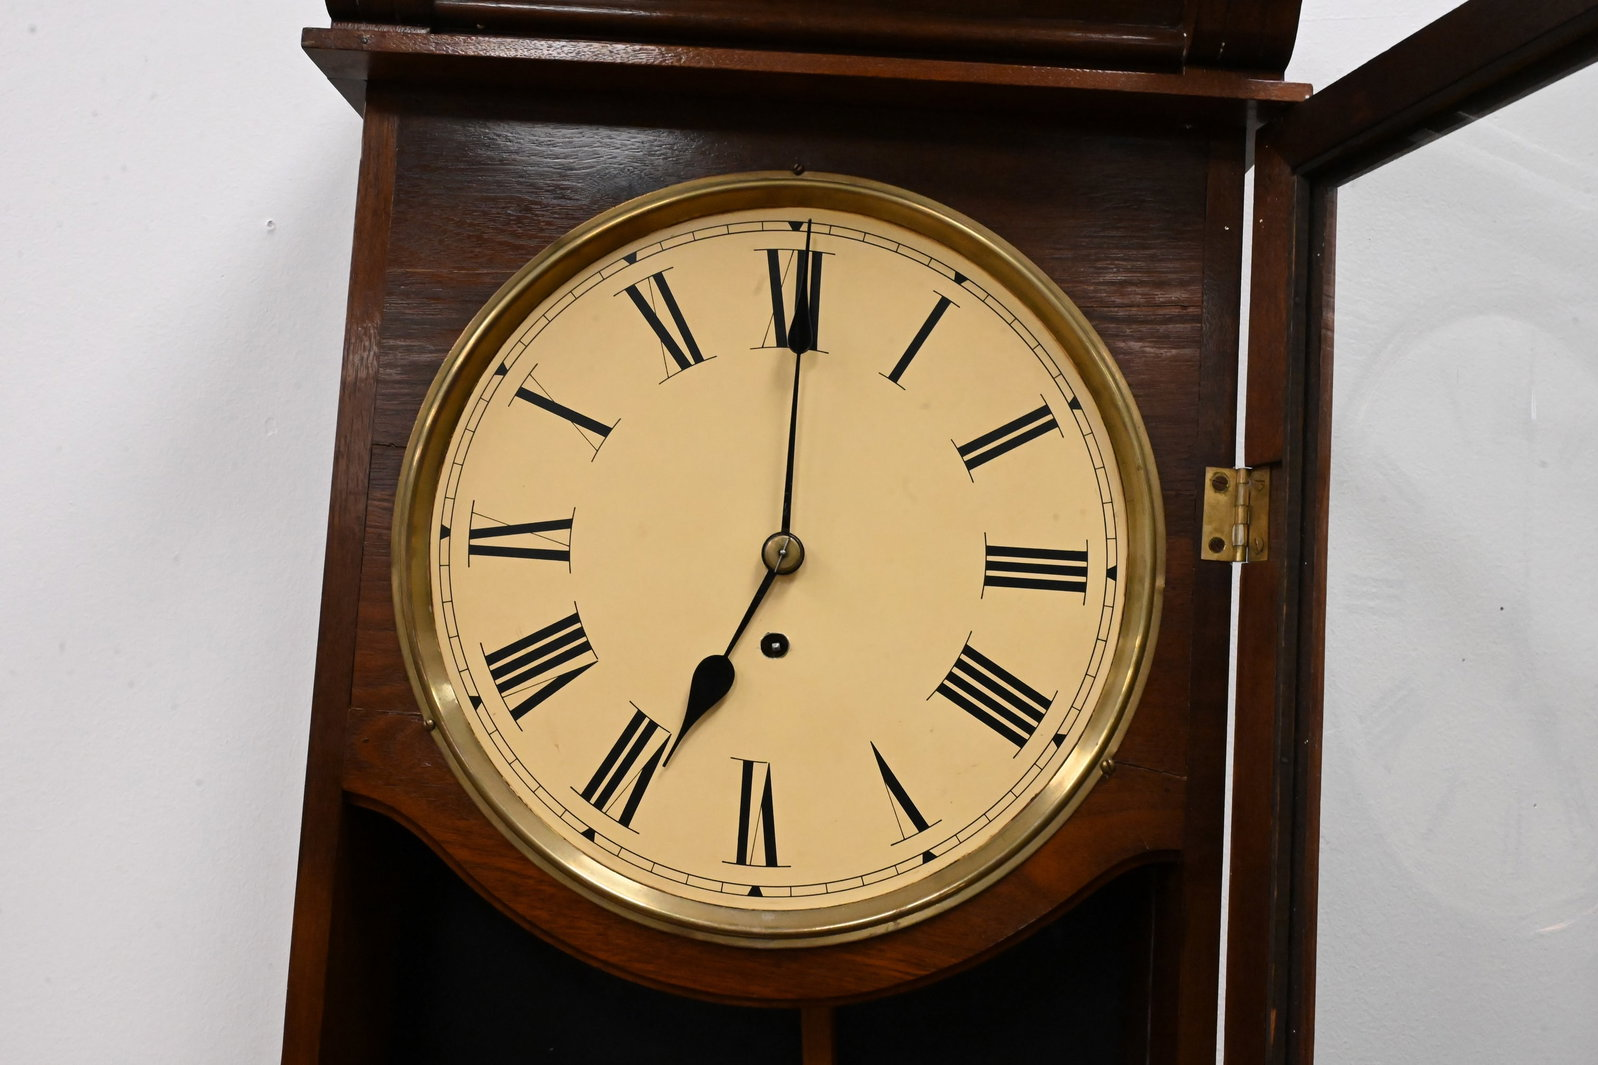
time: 7:00
